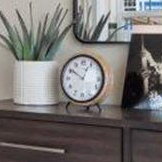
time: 12:50
